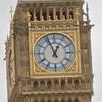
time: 12:56
